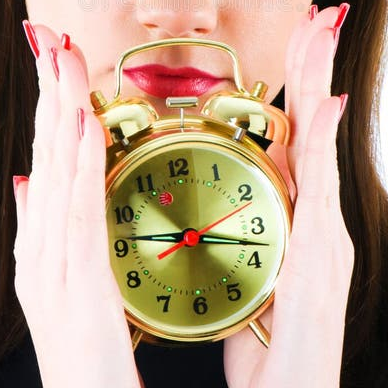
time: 9:17
